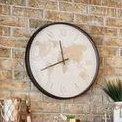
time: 11:41
